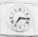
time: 7:15
